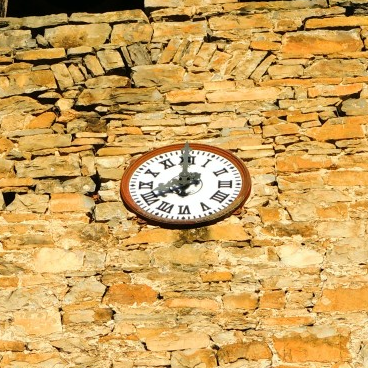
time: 7:59
